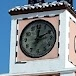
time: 12:10
